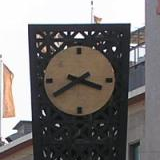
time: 3:40
